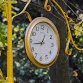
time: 12:43
